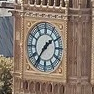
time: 1:36
